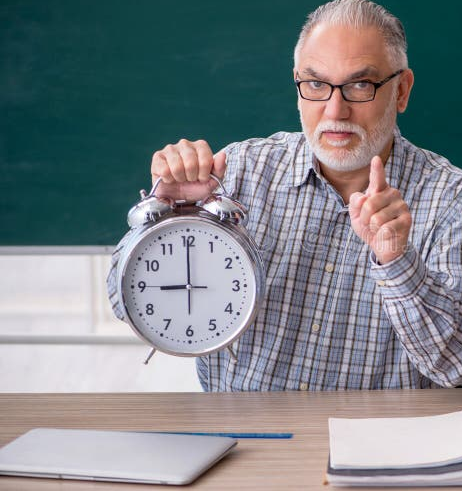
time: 9:00
